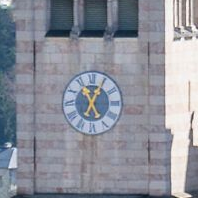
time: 11:04
